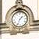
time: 1:33
